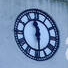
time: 11:29
